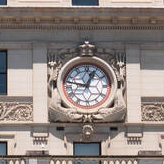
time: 12:46
